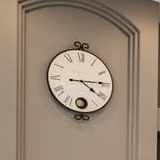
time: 4:14
